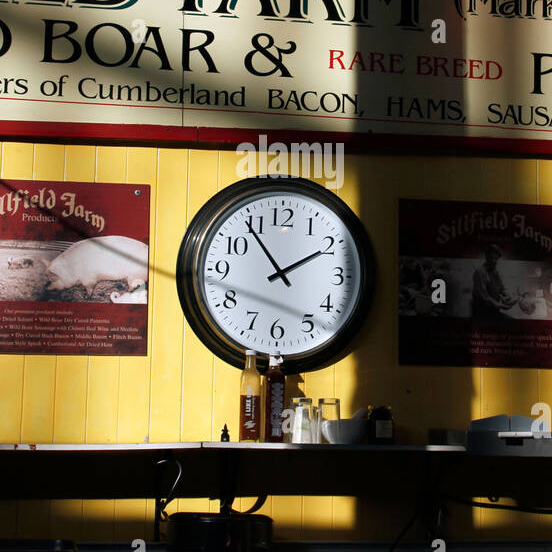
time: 1:54
